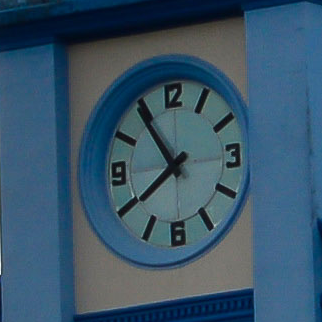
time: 7:54
